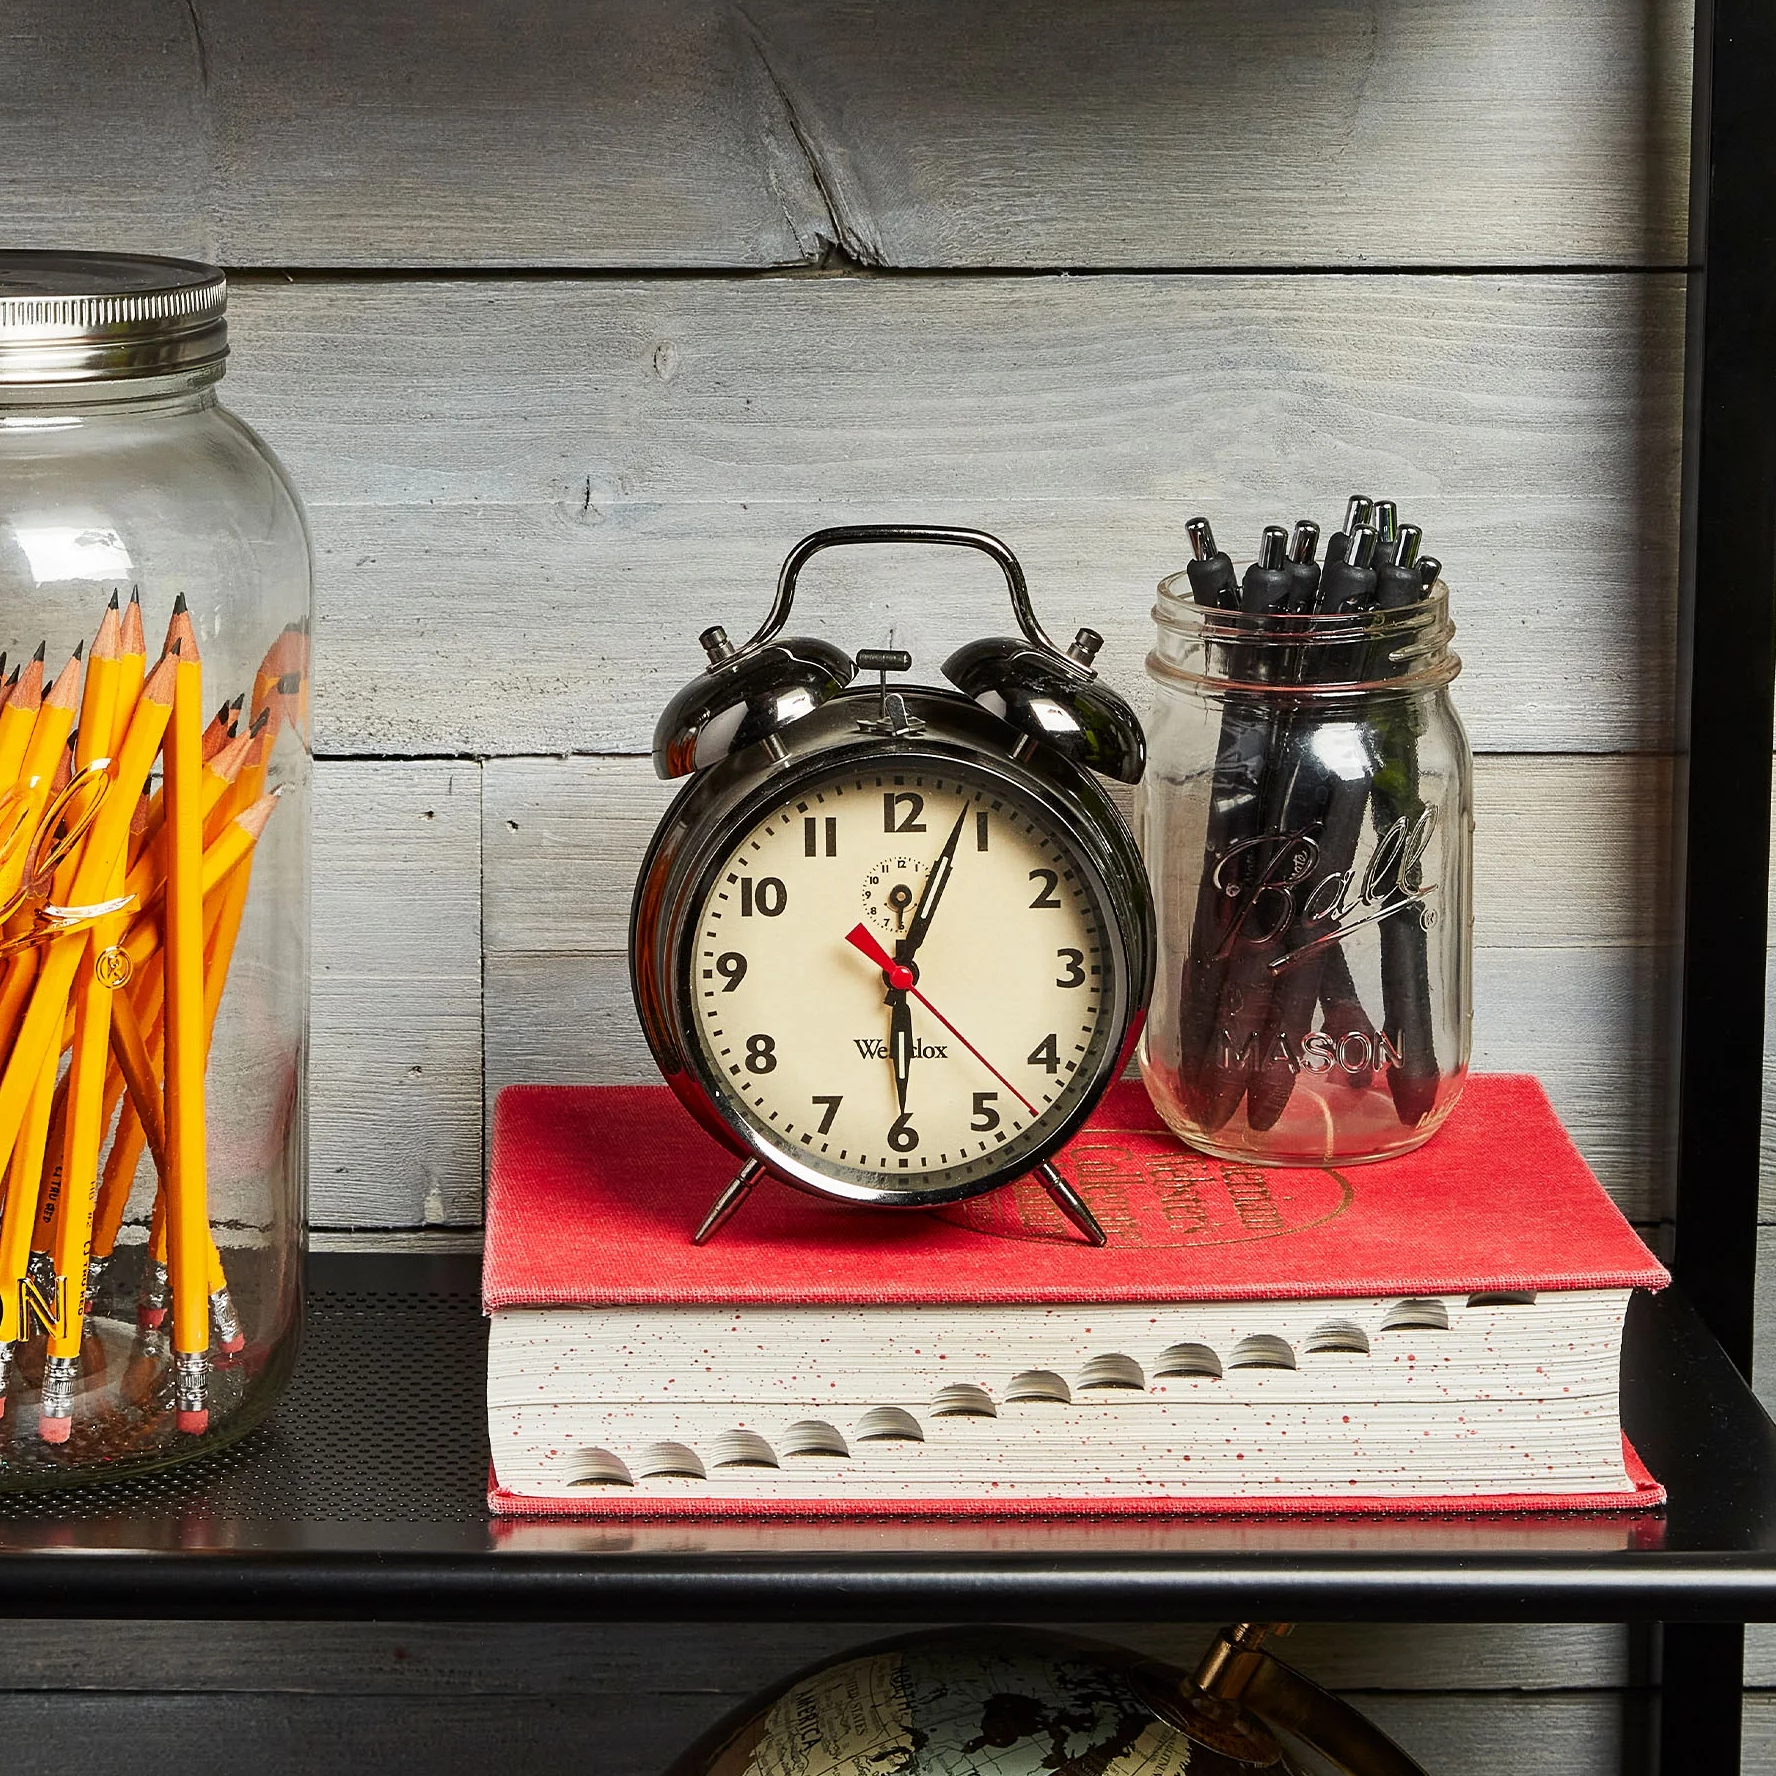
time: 6:03
